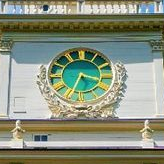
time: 3:34
